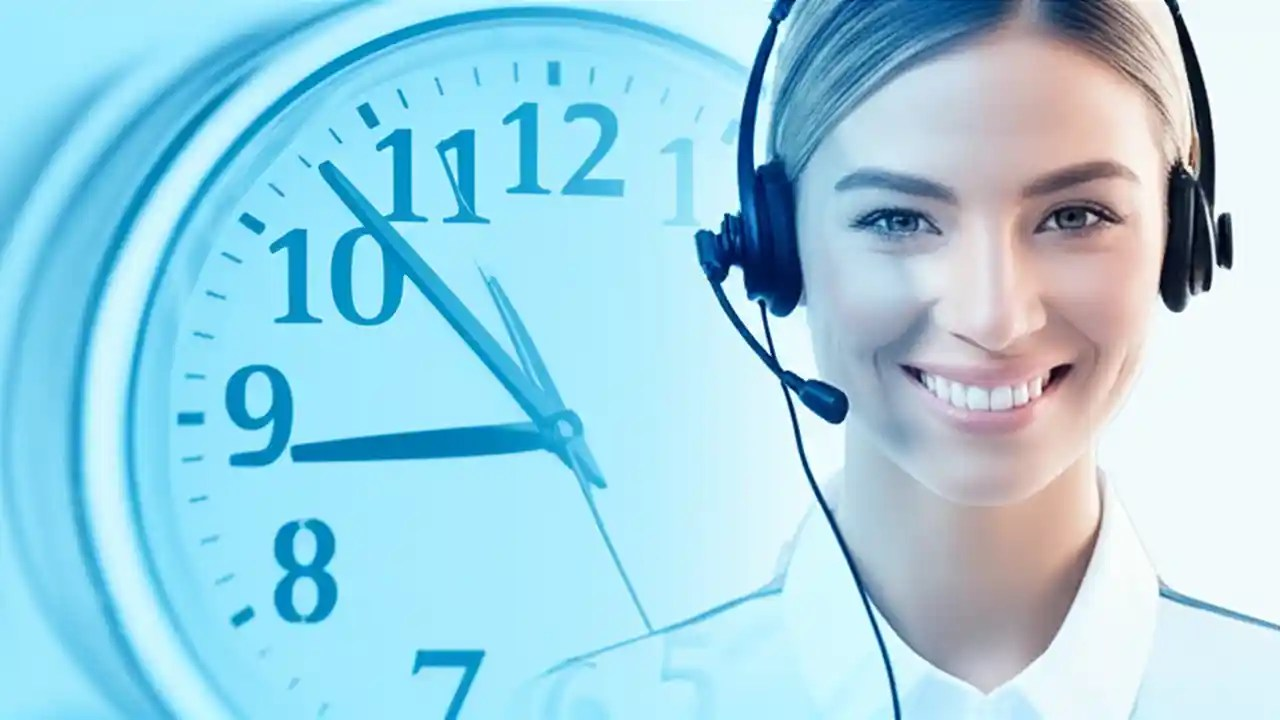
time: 8:52
